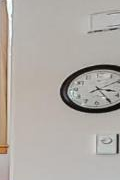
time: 3:24
